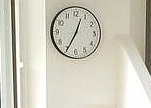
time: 12:34
